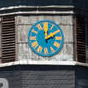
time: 2:00
